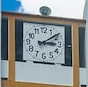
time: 3:08
